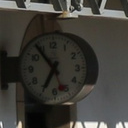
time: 6:53
